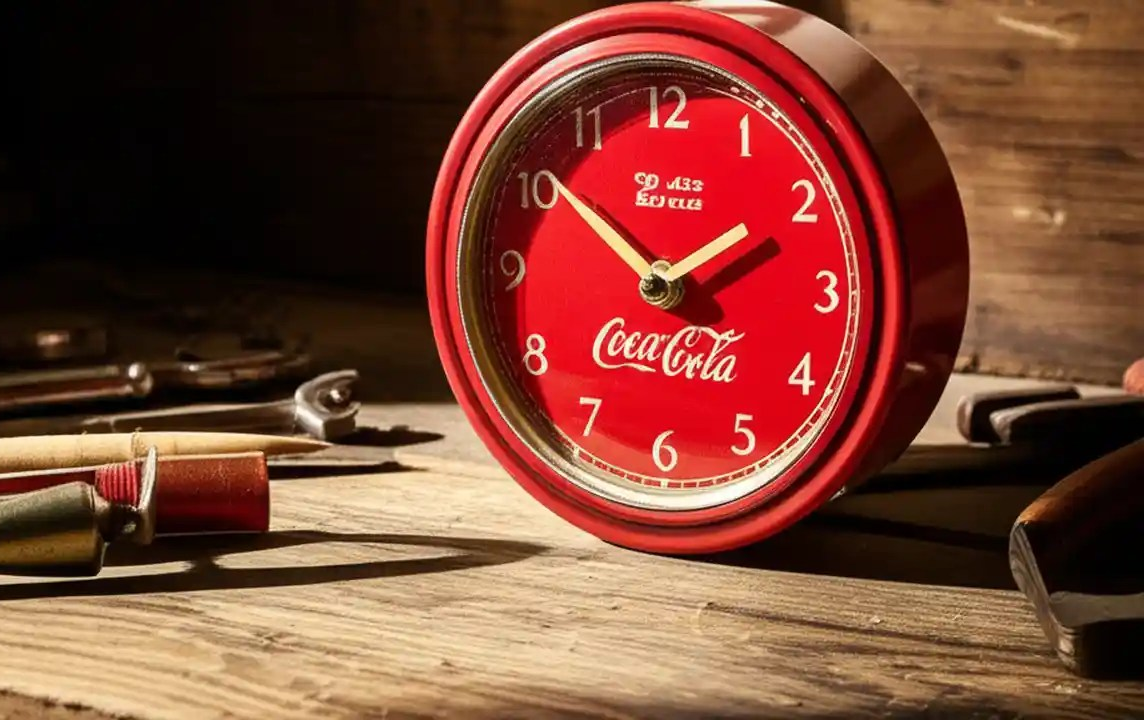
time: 1:51
